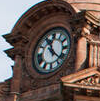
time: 11:21
